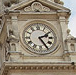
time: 2:25
